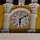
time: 6:08
